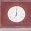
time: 7:00
